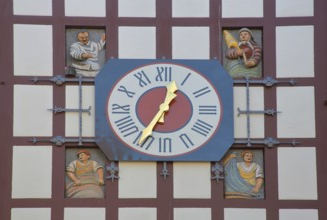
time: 12:34
